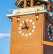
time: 8:56
